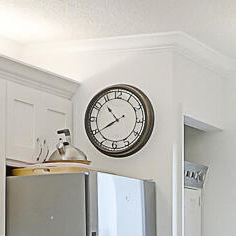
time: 10:39
